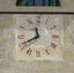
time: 11:40
